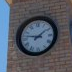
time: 1:46
